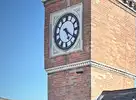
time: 5:21
